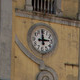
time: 2:59
